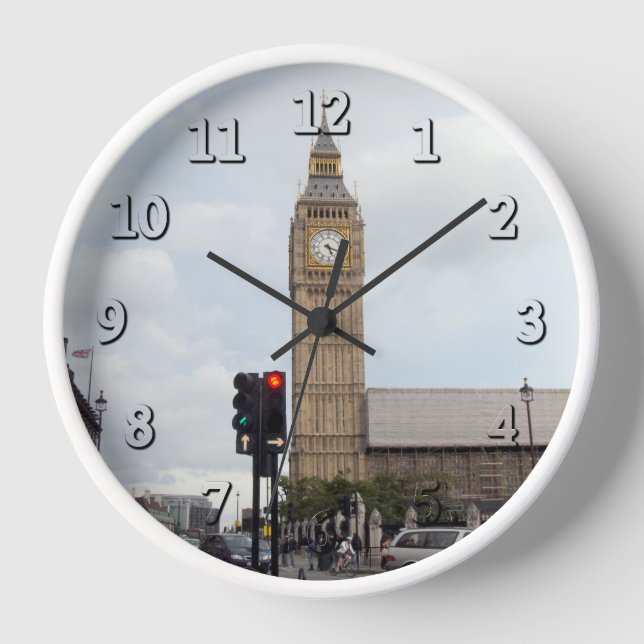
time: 12:09
